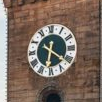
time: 6:21
